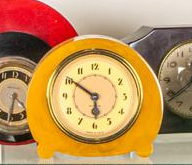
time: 5:50
